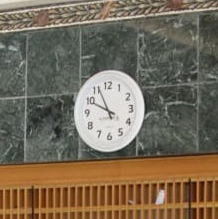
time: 9:55
